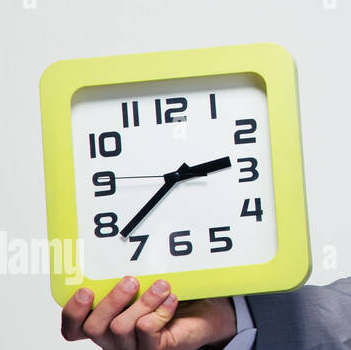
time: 2:37
